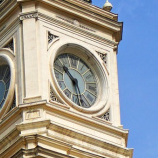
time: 10:28
